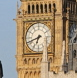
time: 6:41
